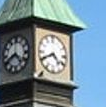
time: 4:40
